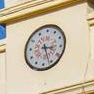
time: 3:26
